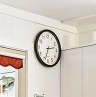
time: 2:33
